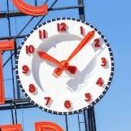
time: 10:07
